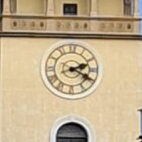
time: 2:19
